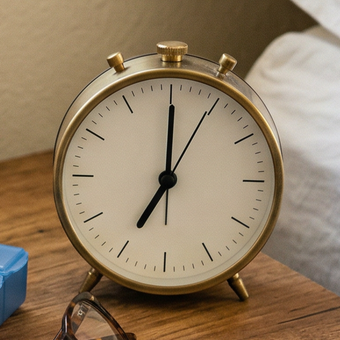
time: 7:00
